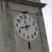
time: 11:42
